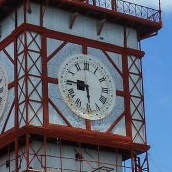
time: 5:45
